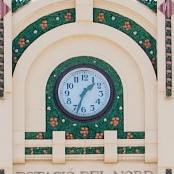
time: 1:32
